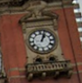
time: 1:03
